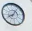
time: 8:06
